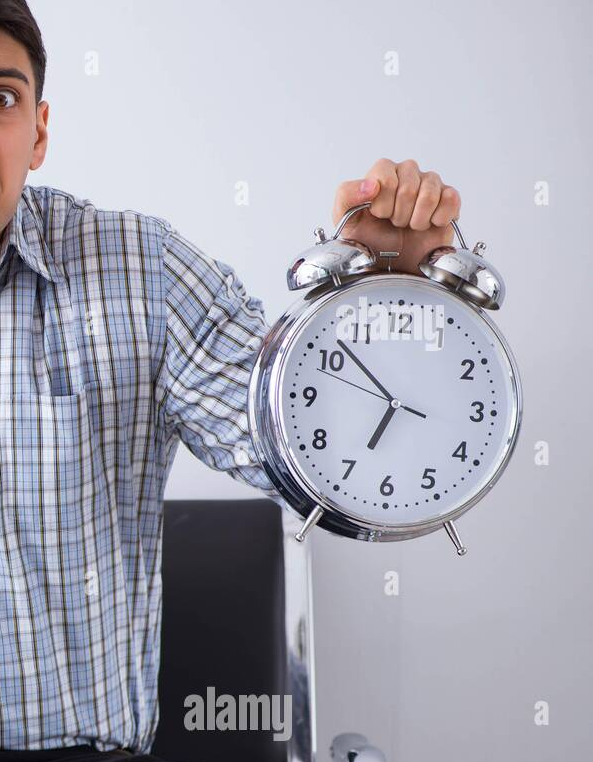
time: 6:52
